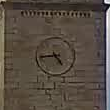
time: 4:44
